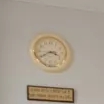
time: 3:40
